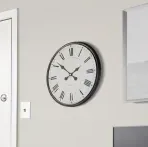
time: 1:51
